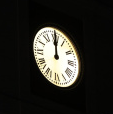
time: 12:00
